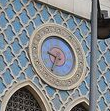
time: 9:34
